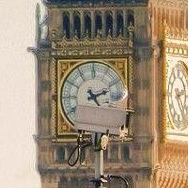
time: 2:23
